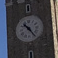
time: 10:23
